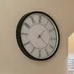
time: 1:21
